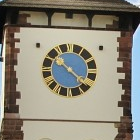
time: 10:21
